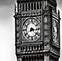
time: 8:16
